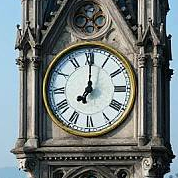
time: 7:00
